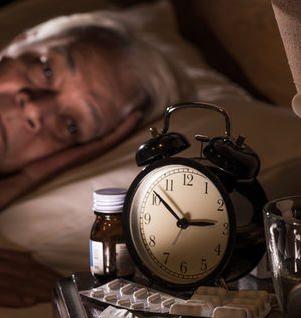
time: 2:51
